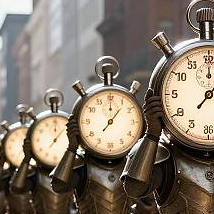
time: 12:06
